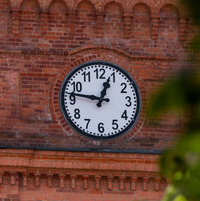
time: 12:46
